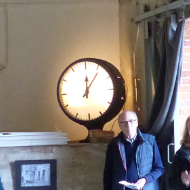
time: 12:05
